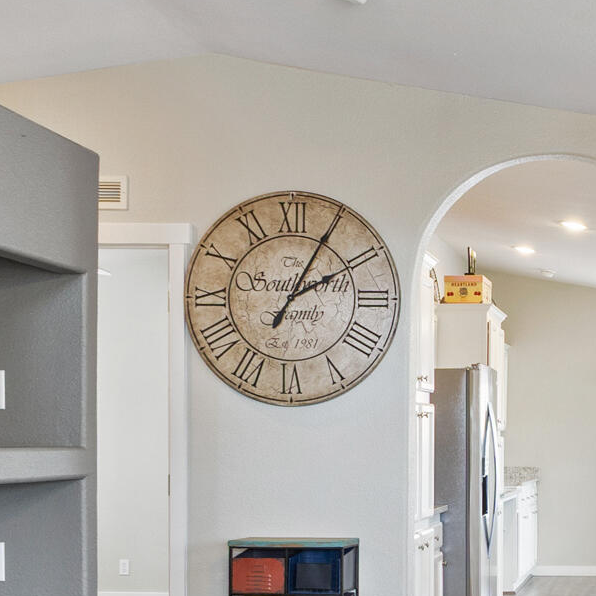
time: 2:04
